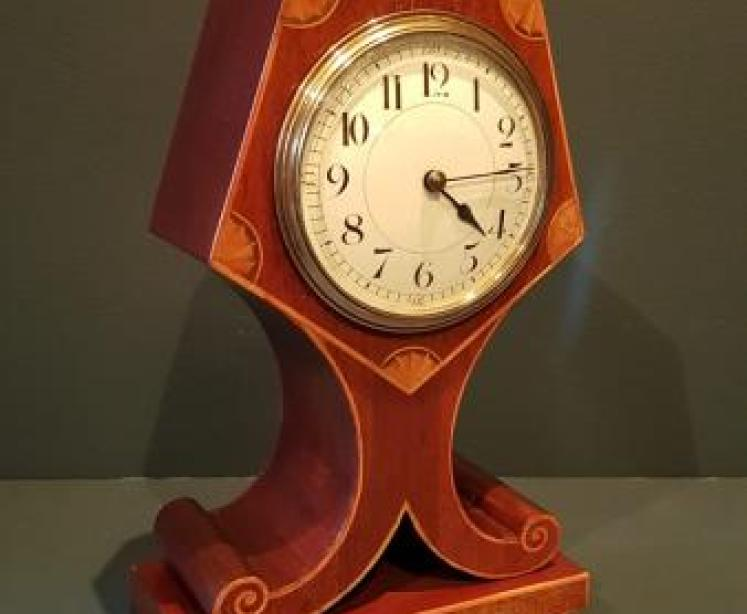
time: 4:14
